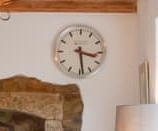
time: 3:28
